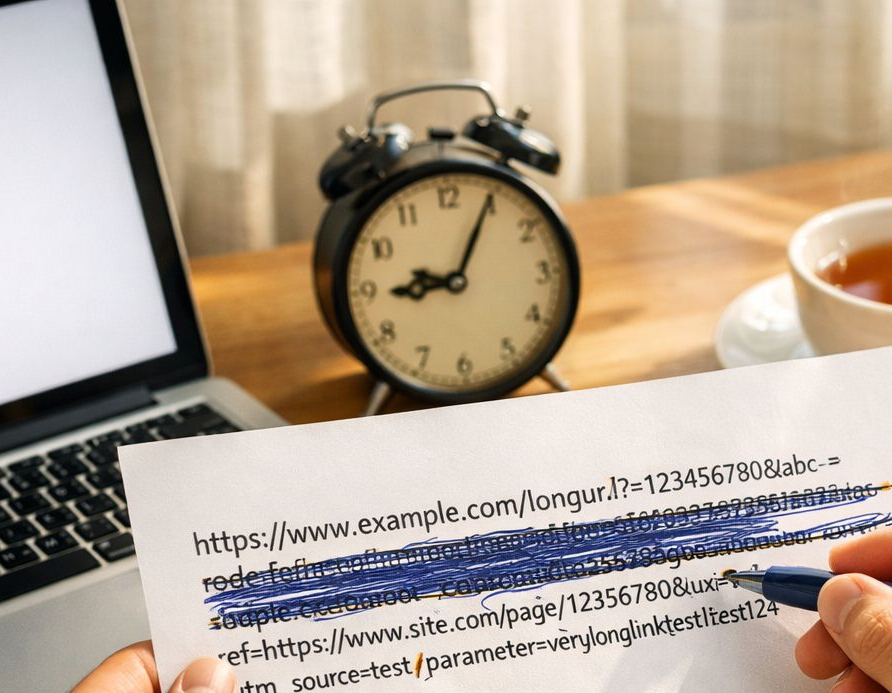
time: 9:04
